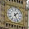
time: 1:26
